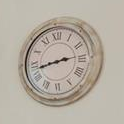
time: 2:43
